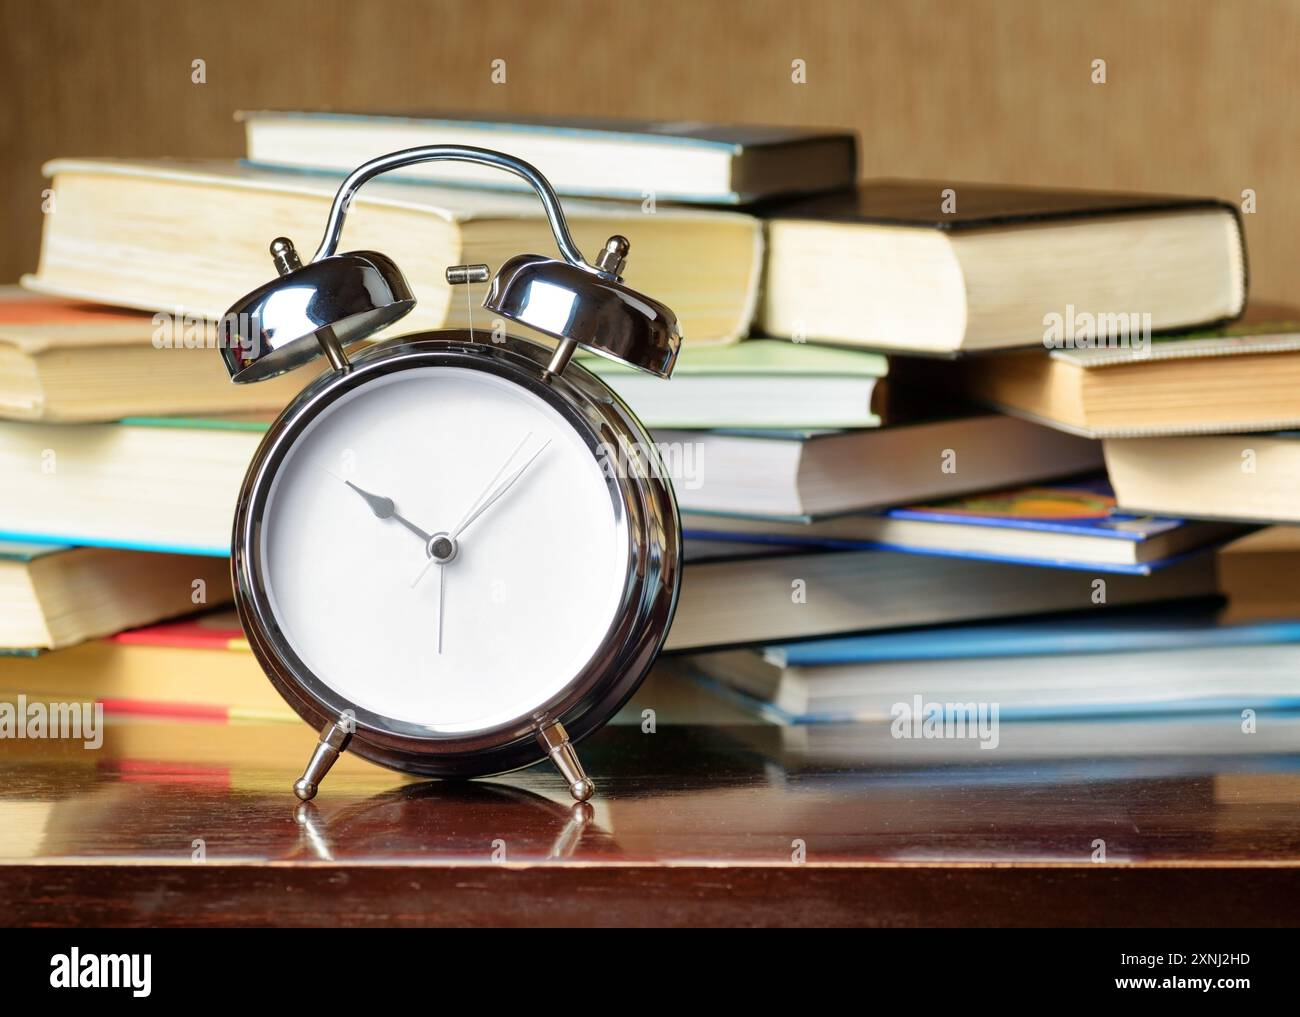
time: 10:07
